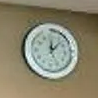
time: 12:07
